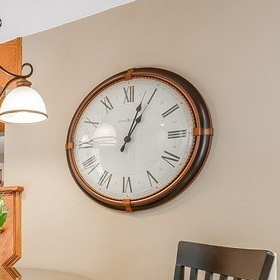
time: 1:03
